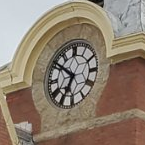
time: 6:50
